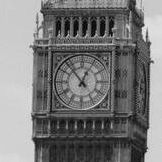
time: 12:53
